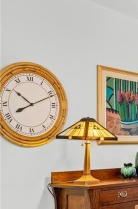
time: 8:11
